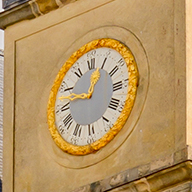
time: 12:47
